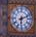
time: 6:11
